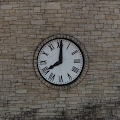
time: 8:00
